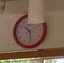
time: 10:28
